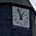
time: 12:55
